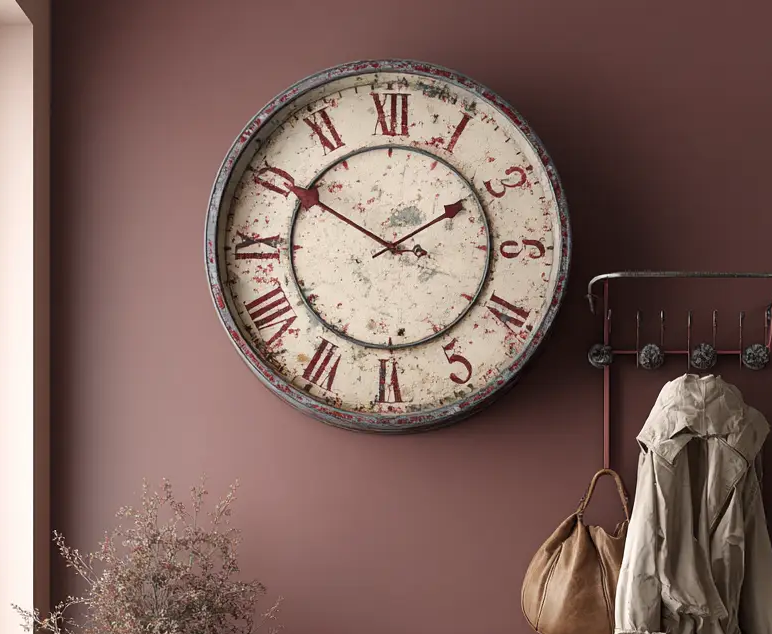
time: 1:50
